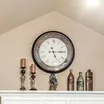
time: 5:14
